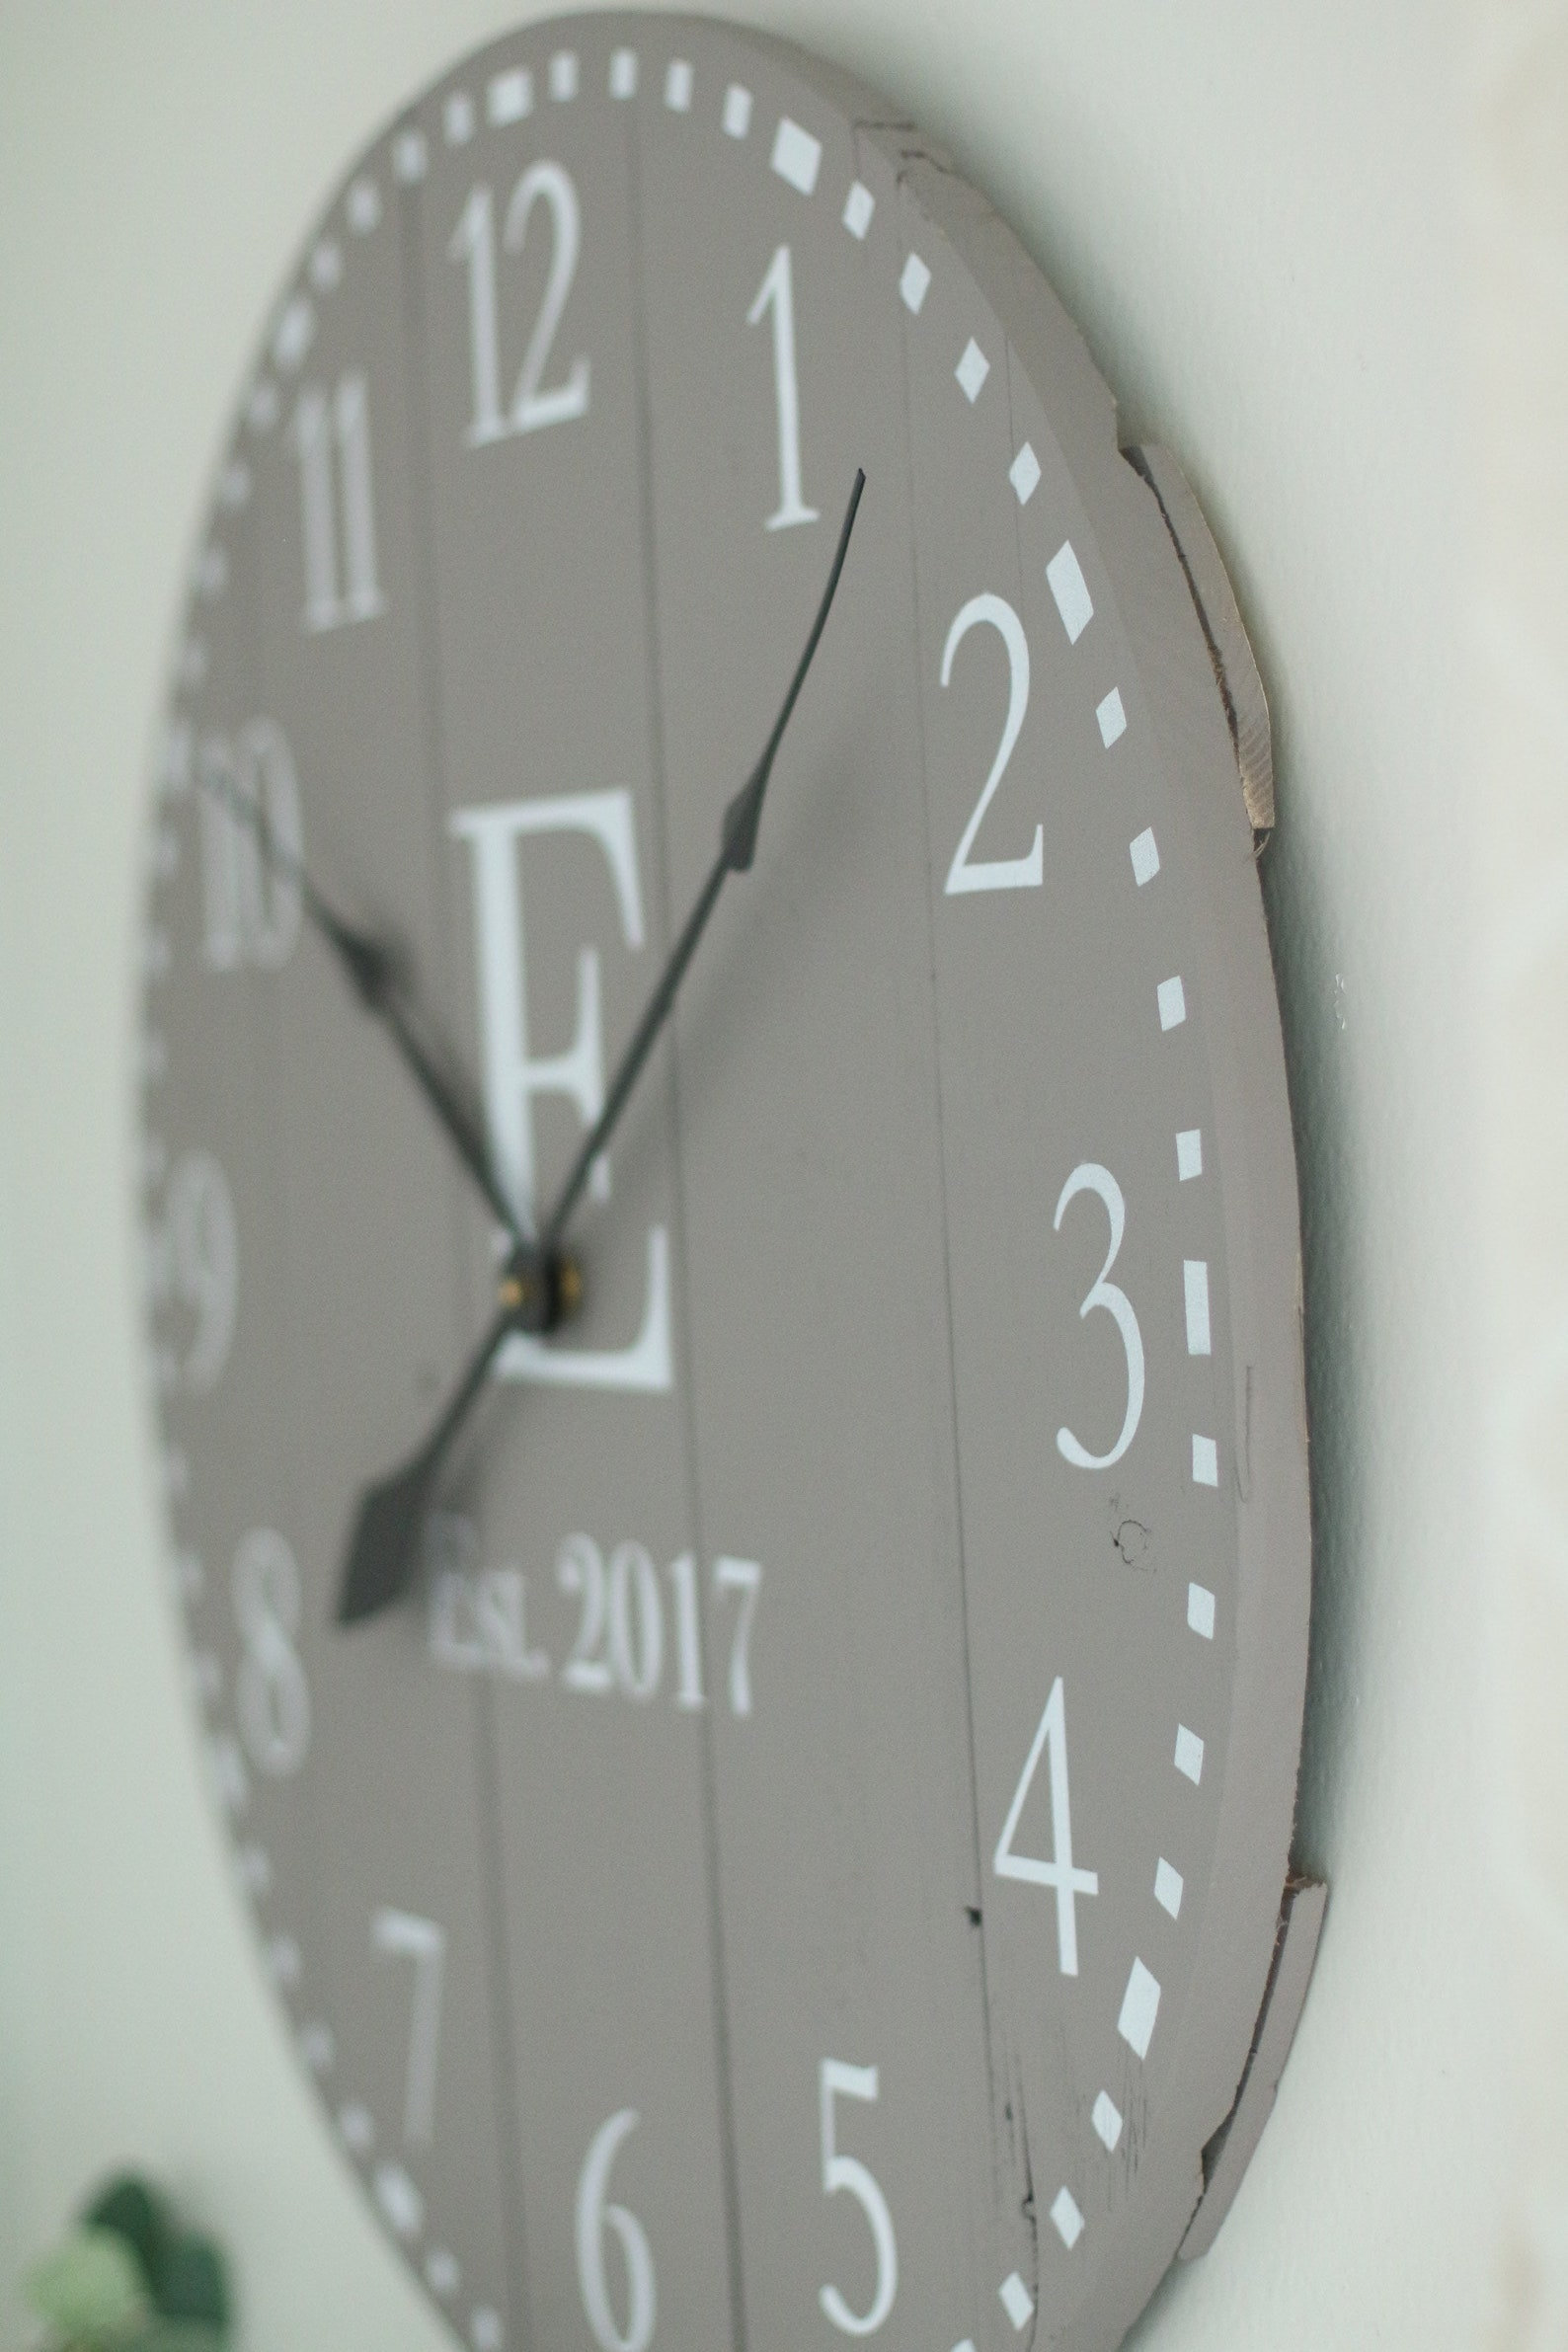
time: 10:07
